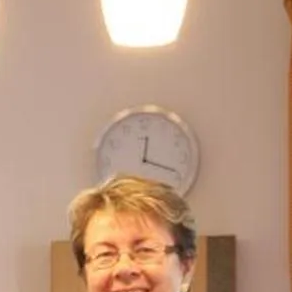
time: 12:18
